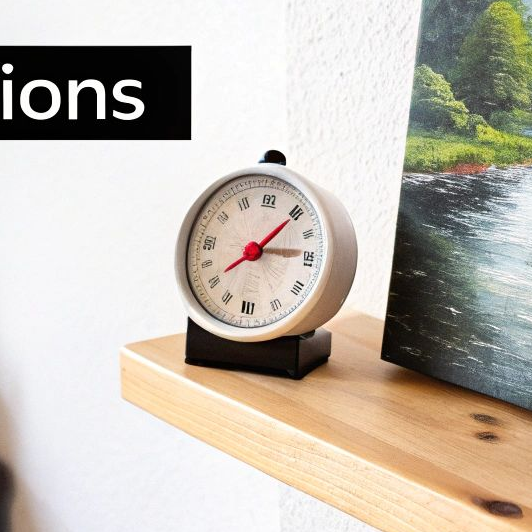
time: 1:14
